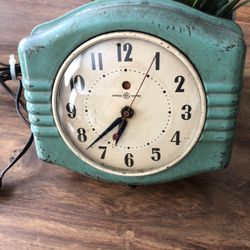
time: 6:37
